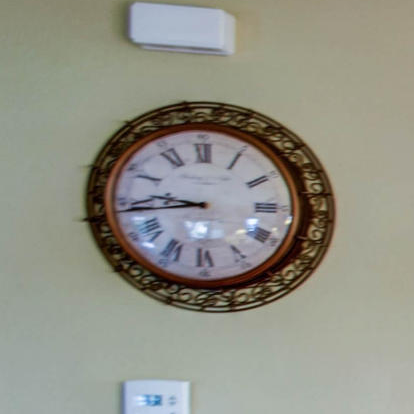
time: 9:44
